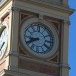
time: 8:40
